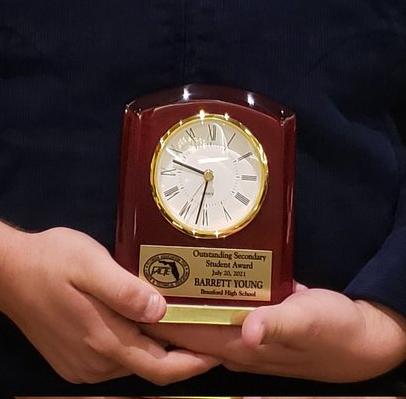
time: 9:32
